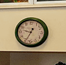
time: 9:34
